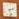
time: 2:27
